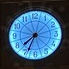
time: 7:34
